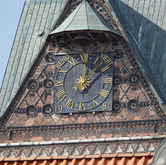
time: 12:07
